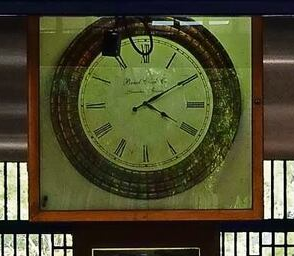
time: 4:09
